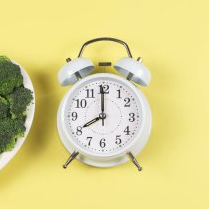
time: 7:59
